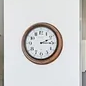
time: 2:15
